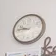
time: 9:45
